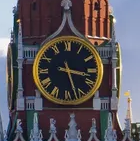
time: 3:27
